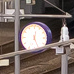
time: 12:26
